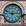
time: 2:48
